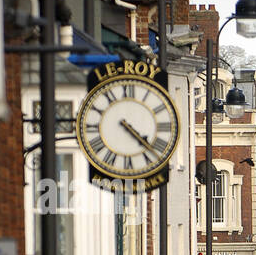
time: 4:22
